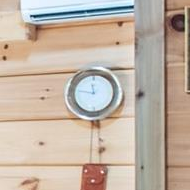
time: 11:46
